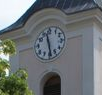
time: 11:28
